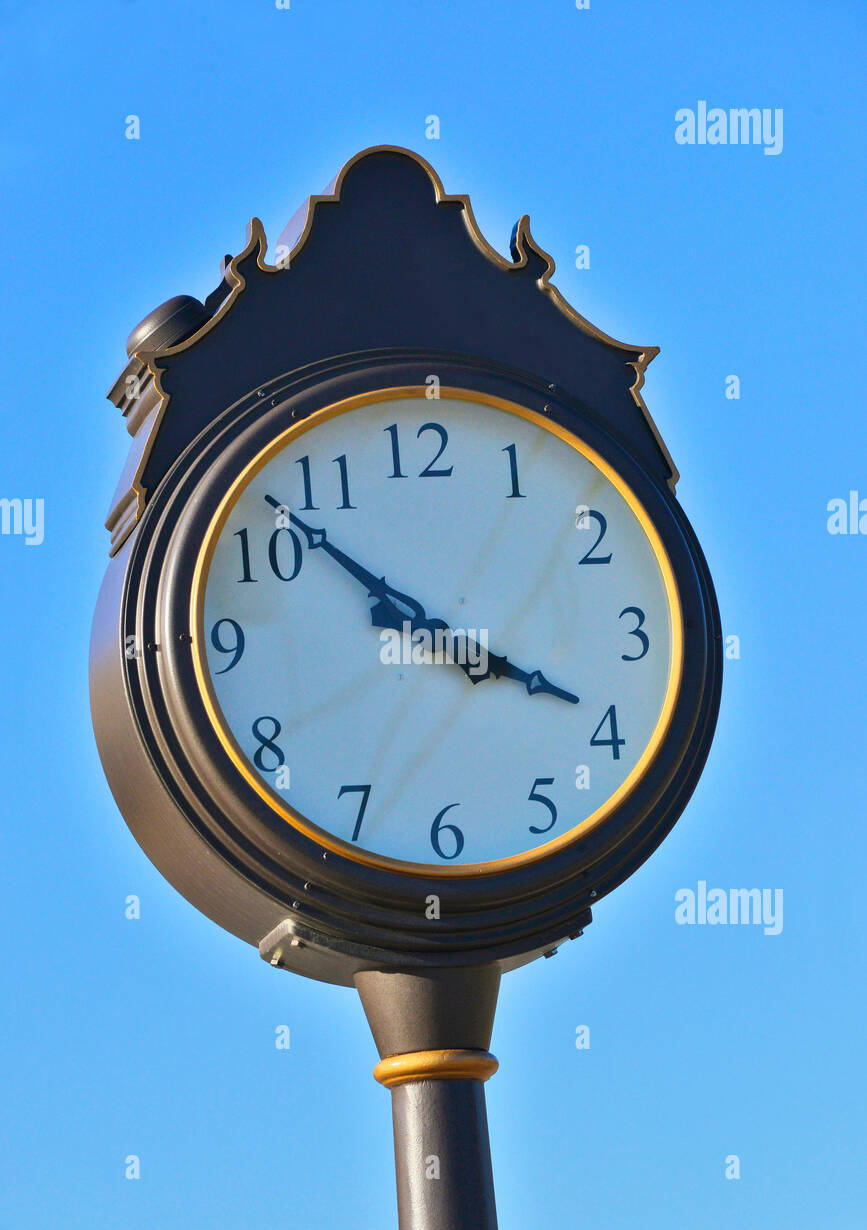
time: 3:52
